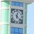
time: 12:22
